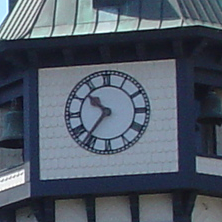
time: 10:36
